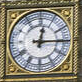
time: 12:14
